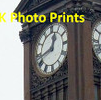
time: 12:42
